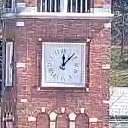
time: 12:07
